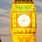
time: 8:38
